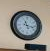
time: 11:17
